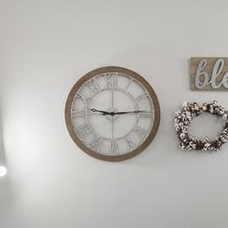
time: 9:14
